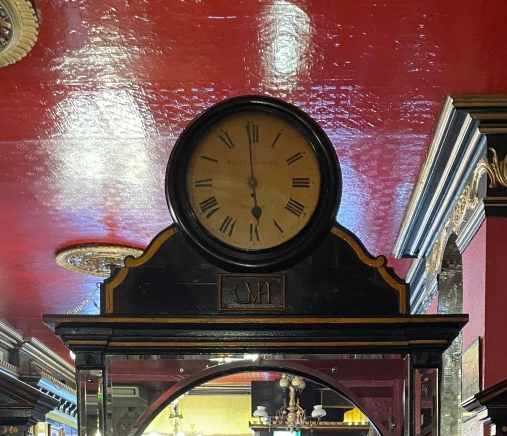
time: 5:59
